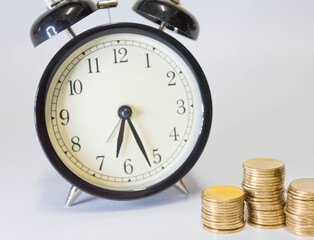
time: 6:26
